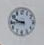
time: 9:43
